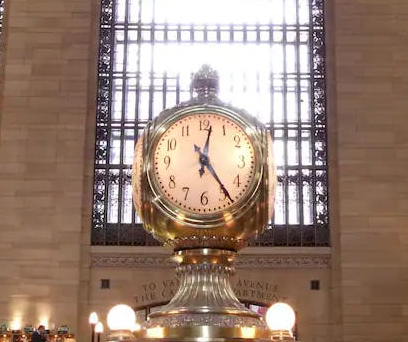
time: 12:23
